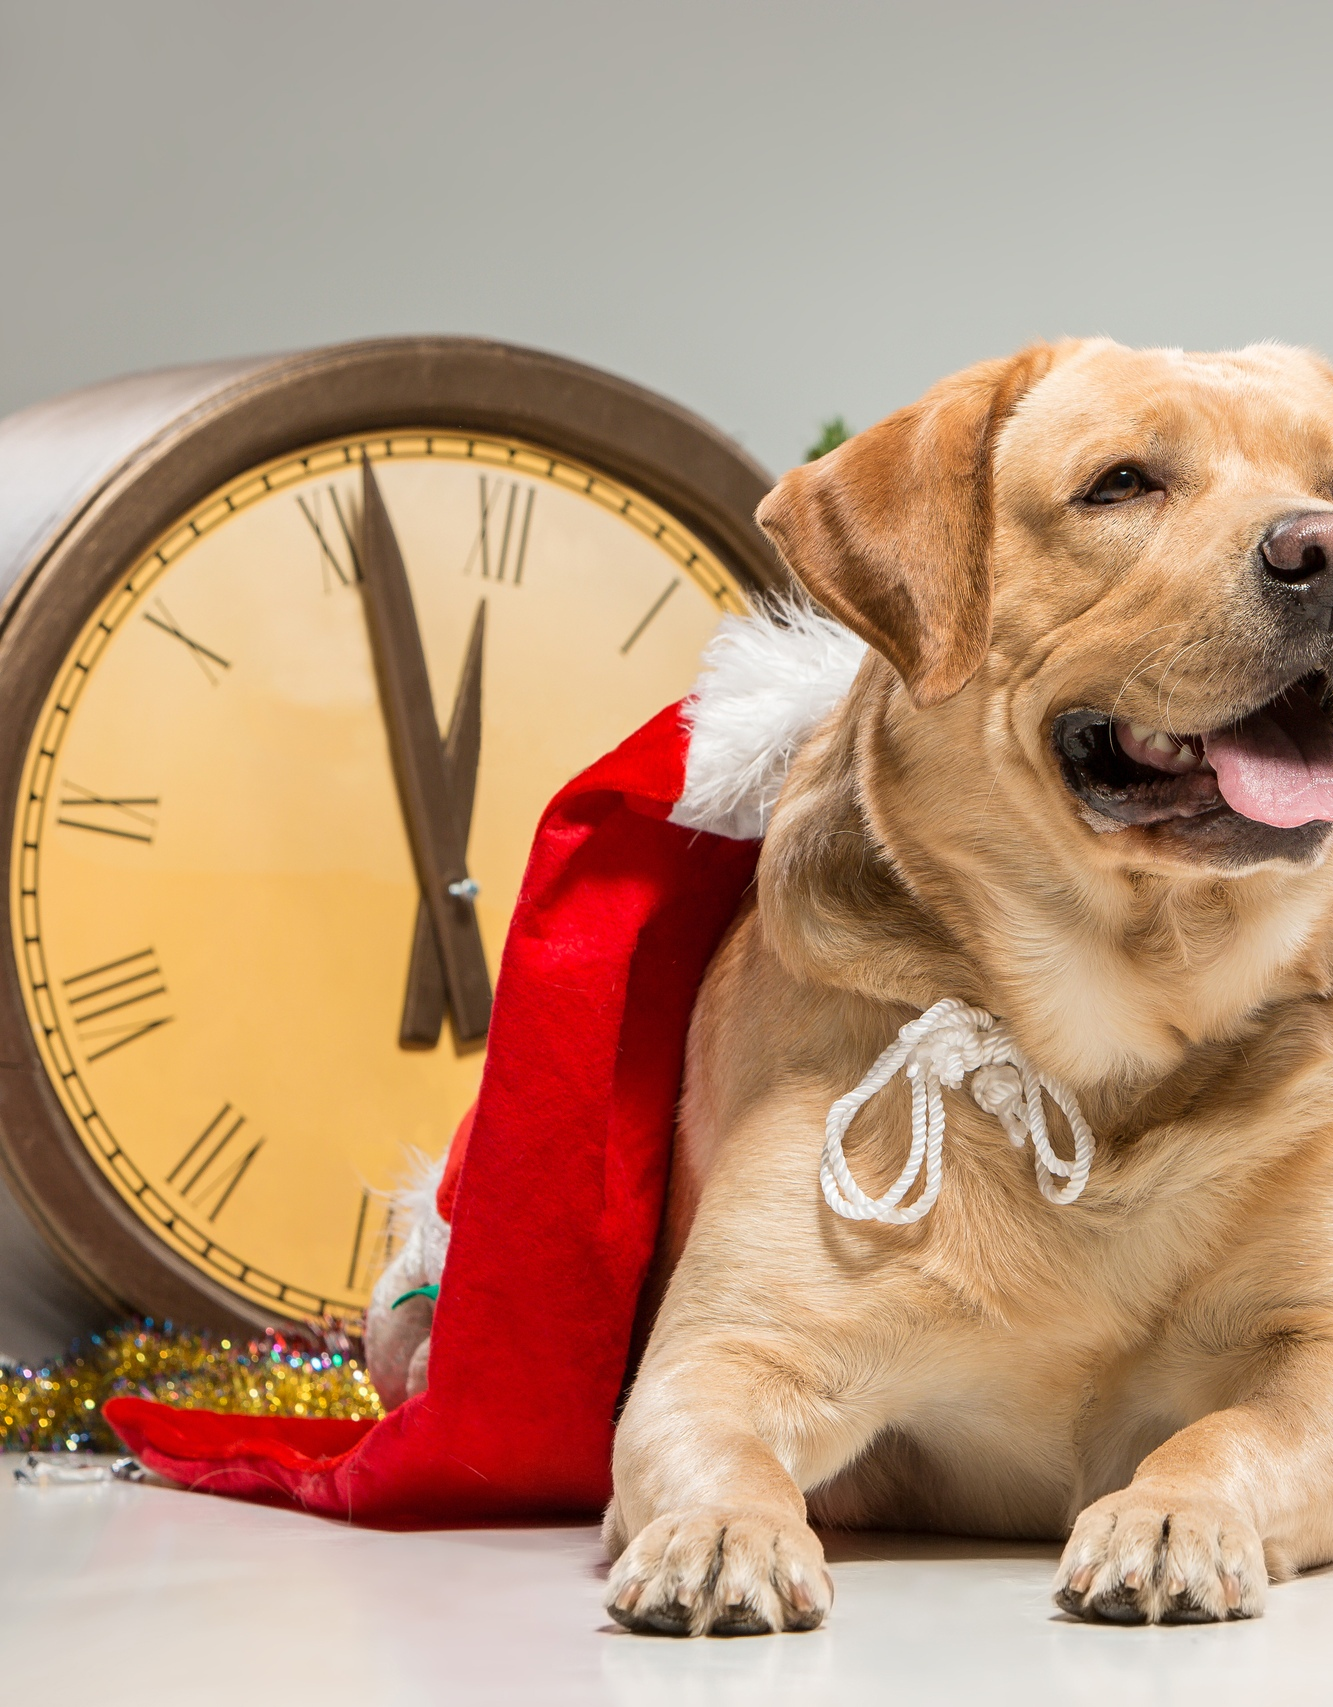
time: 11:56
